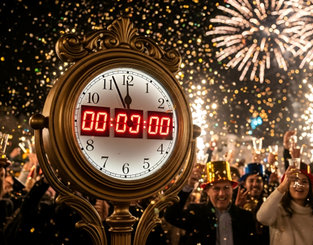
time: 11:56
